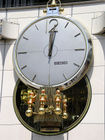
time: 12:01
